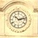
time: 10:12
